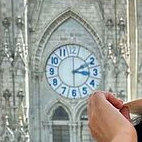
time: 3:11
